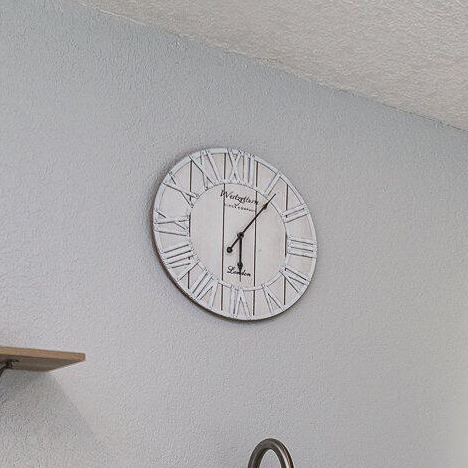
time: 6:06
